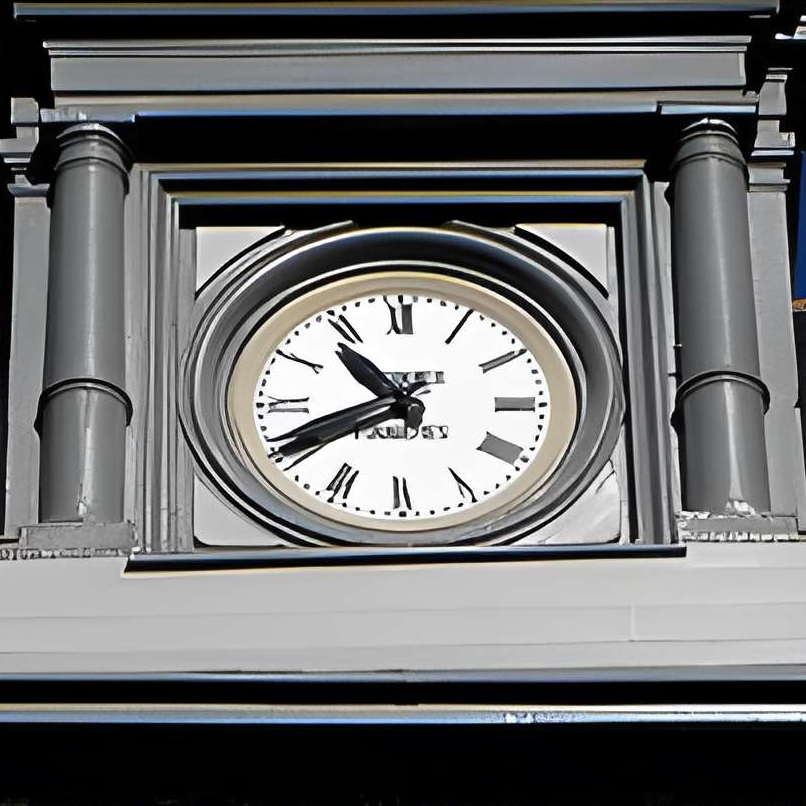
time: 10:41
